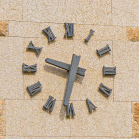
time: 9:32
